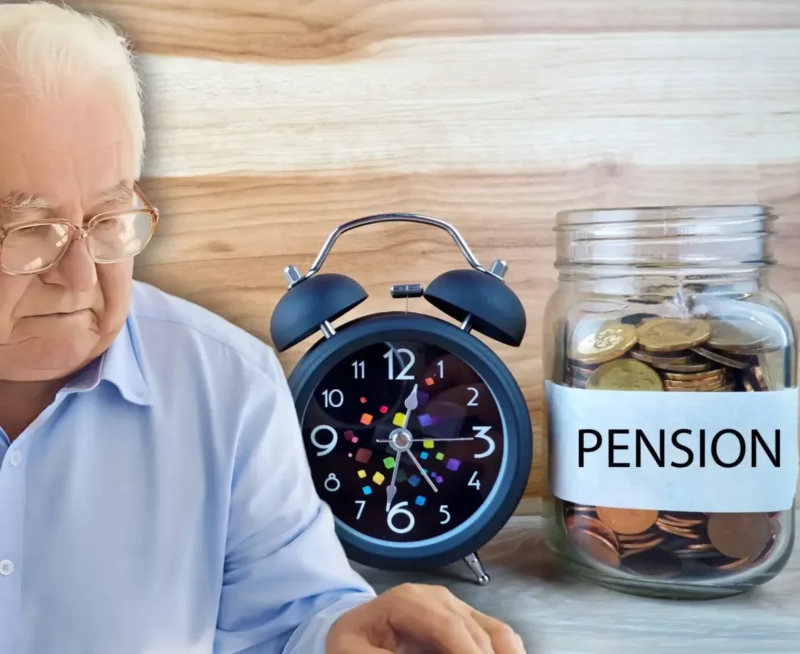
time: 12:32
